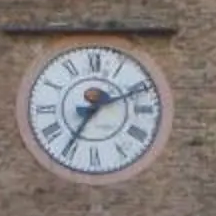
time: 7:11
